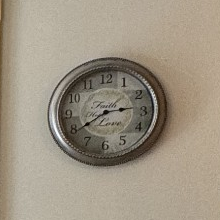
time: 2:39
